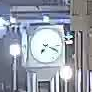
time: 7:18
